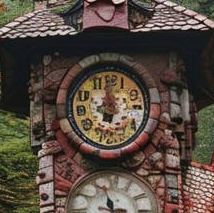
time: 6:59
